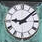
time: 9:08
